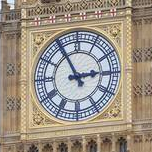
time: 2:55
